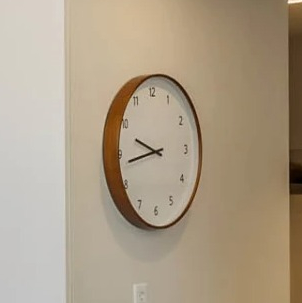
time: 9:43
